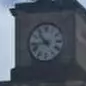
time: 10:43
